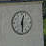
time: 12:29
